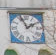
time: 1:56
